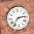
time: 2:36
